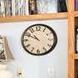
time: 10:49
